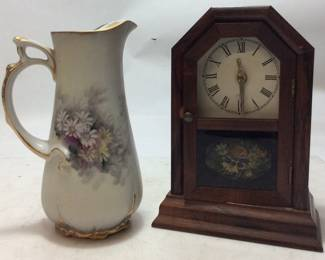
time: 11:29
